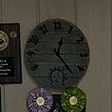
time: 12:23
